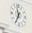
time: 11:34
